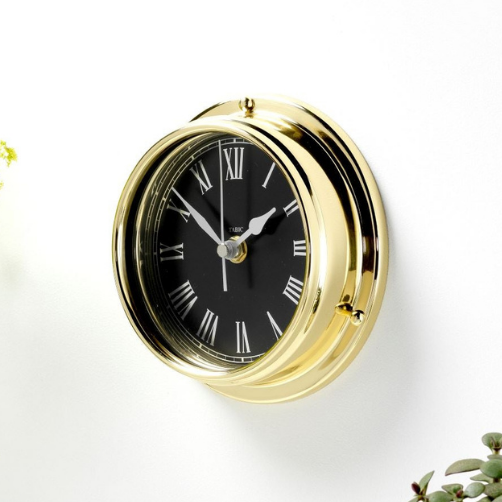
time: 1:51
